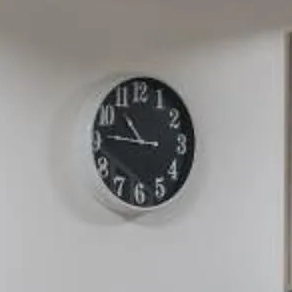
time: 10:45
